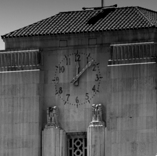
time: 12:07
